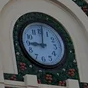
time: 9:01
